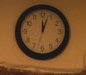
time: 12:03
